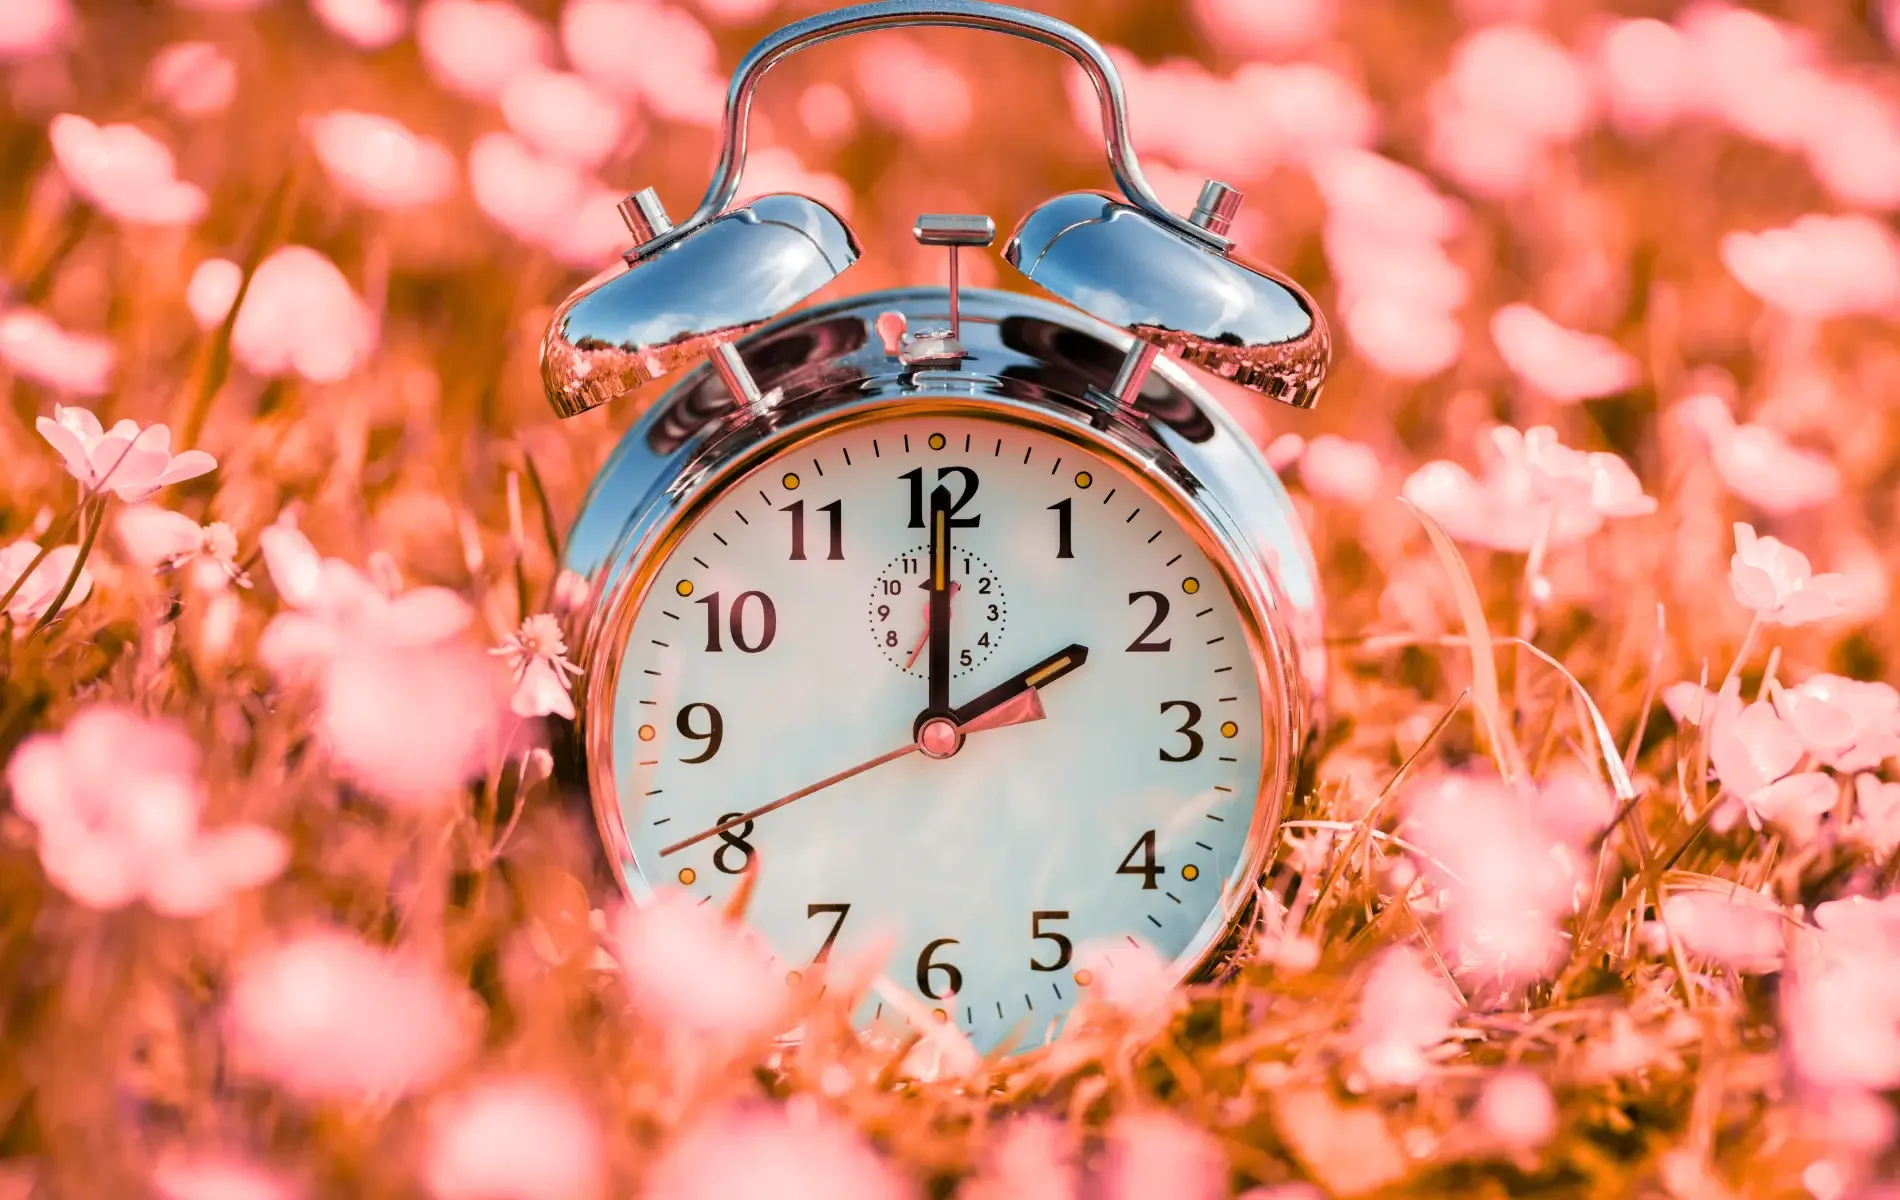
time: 2:00
